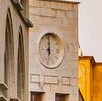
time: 5:59
